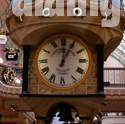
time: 12:04
